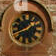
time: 1:40
